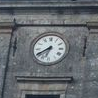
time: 6:40
